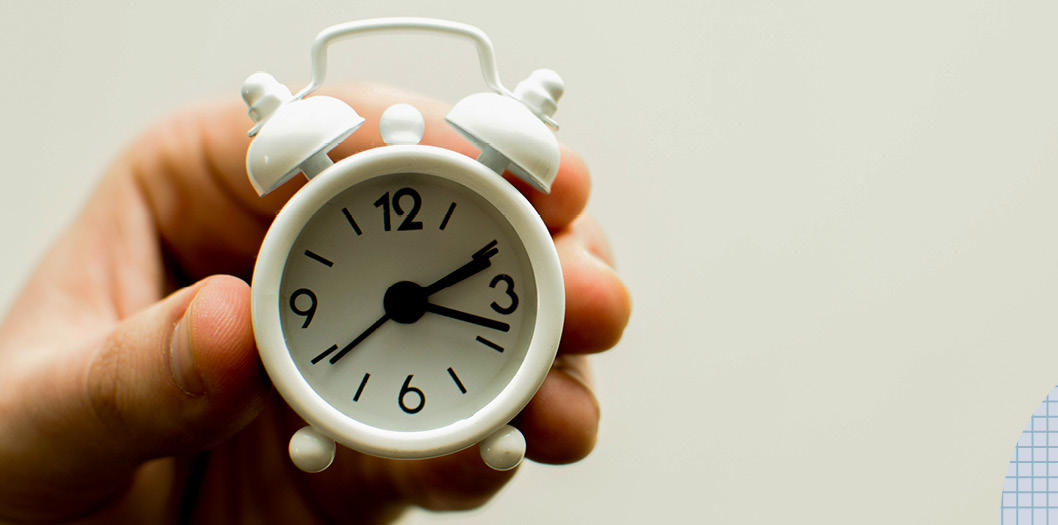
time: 2:18
